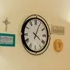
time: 4:04
